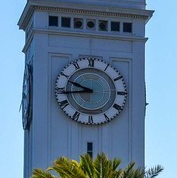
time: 9:43
